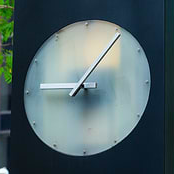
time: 9:06
